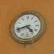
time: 4:42
